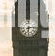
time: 6:13
